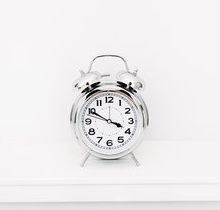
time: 3:49
